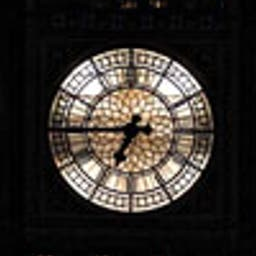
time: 6:44
